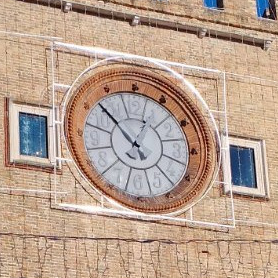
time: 12:52
